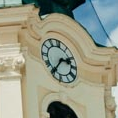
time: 2:36
